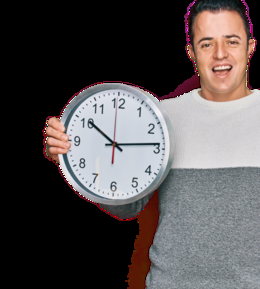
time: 10:13
